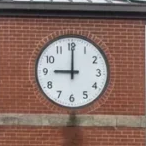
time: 9:00
